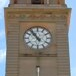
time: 10:53
